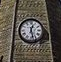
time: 12:27
